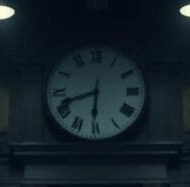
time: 8:30
